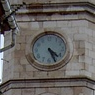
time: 4:26
